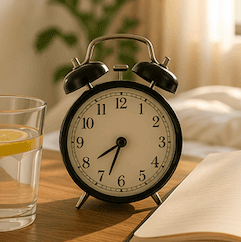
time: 7:33
